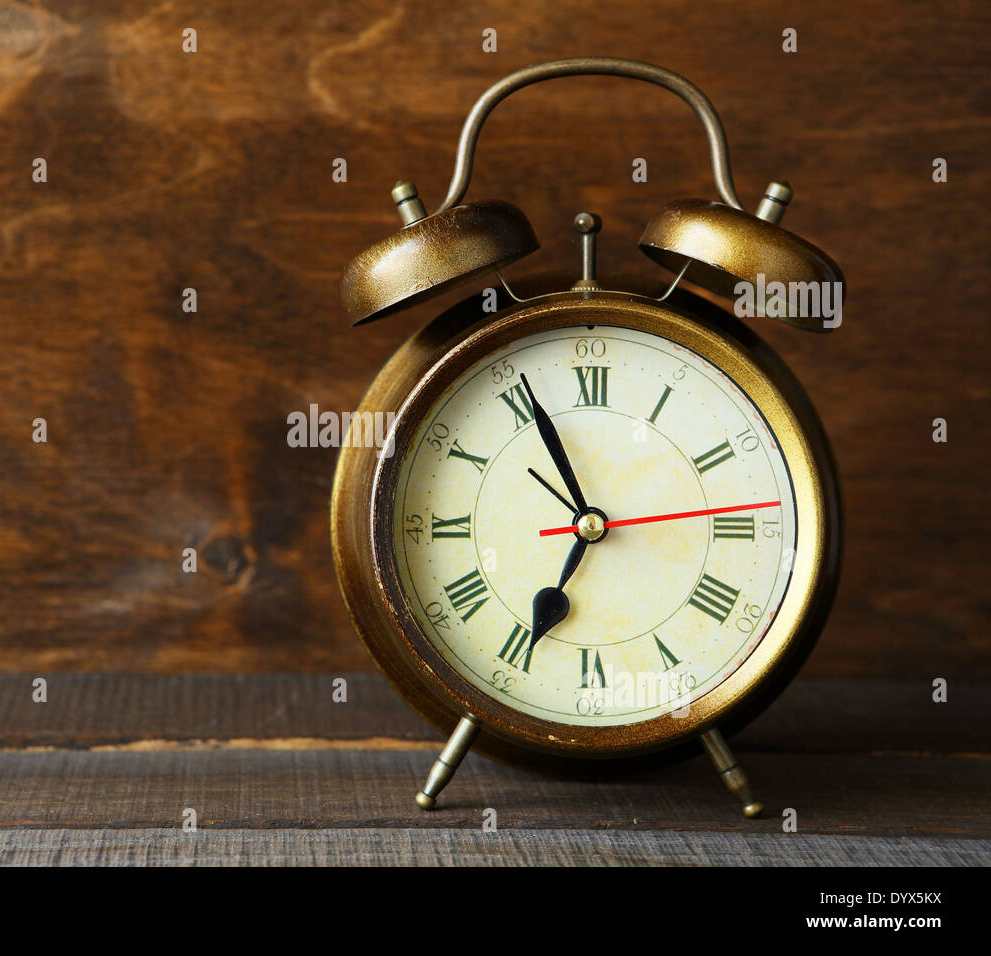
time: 6:55
